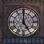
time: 4:59
